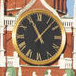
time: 11:07
